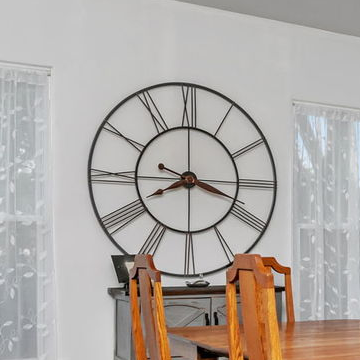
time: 8:18
